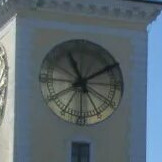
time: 11:09
